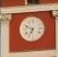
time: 6:48
